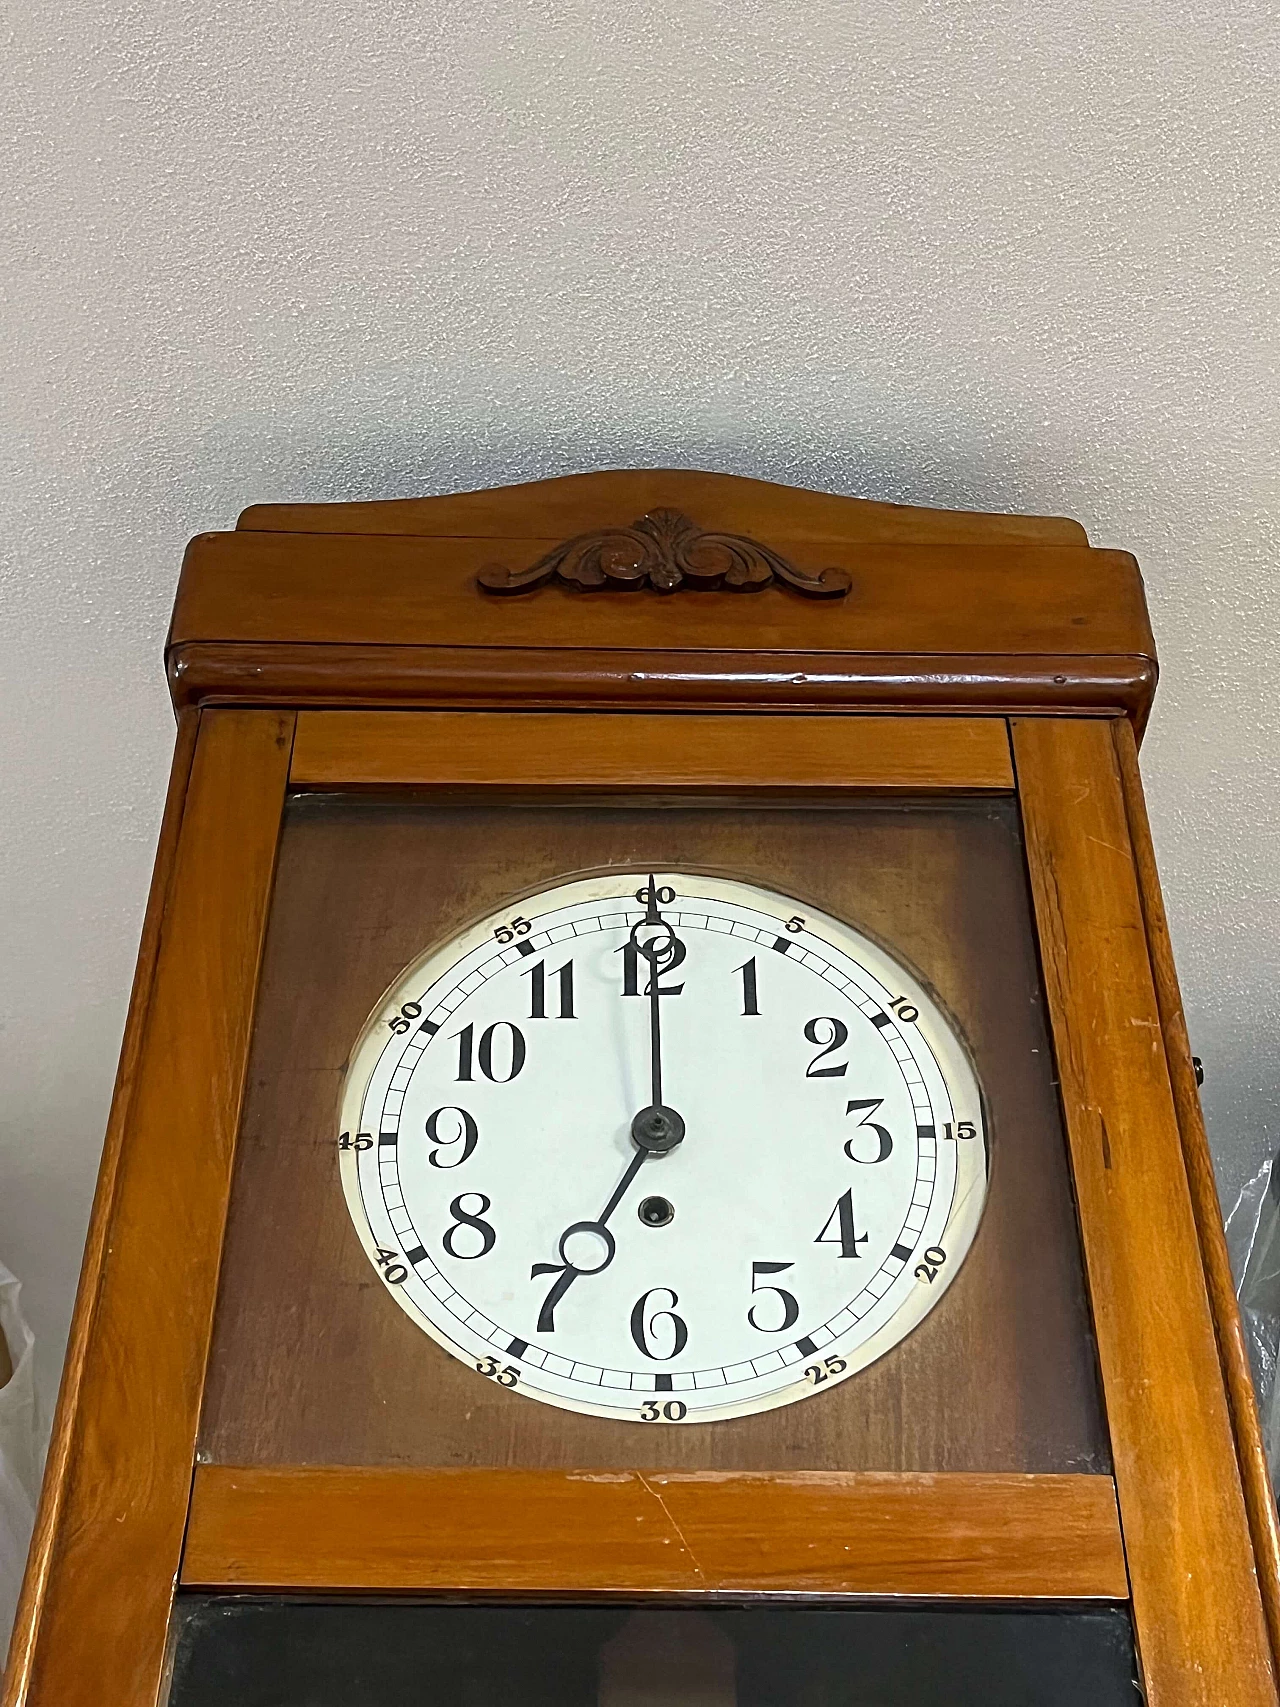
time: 7:00
